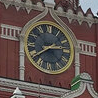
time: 2:39
